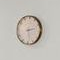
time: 2:28
